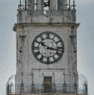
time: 10:17
